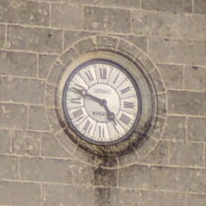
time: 4:48
